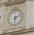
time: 6:10
